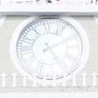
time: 5:09
